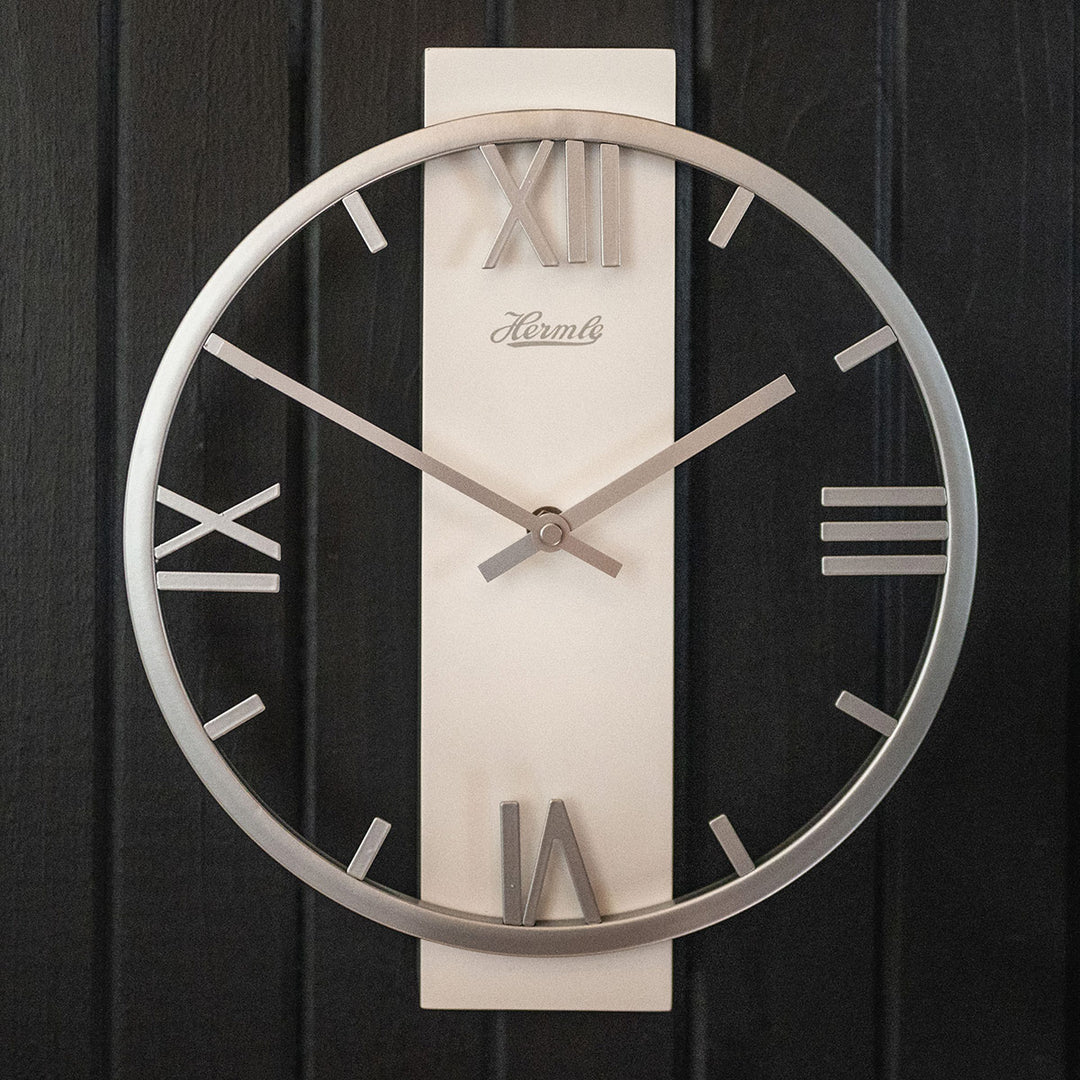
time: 1:50
